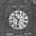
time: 10:32
